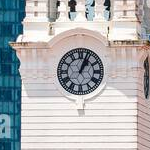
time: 1:03
